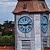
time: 2:46
